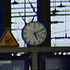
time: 5:11
